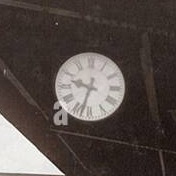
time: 9:33
